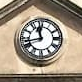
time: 11:42
